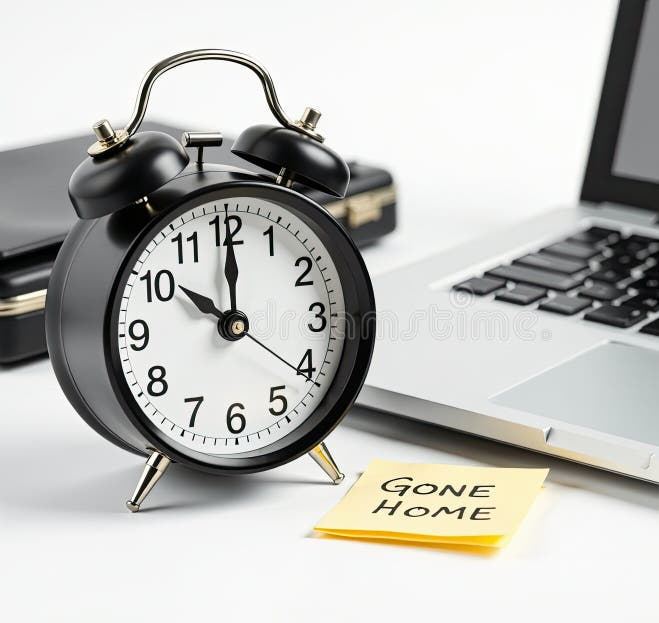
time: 10:00
